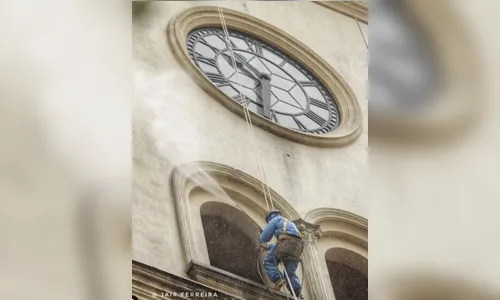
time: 10:32
